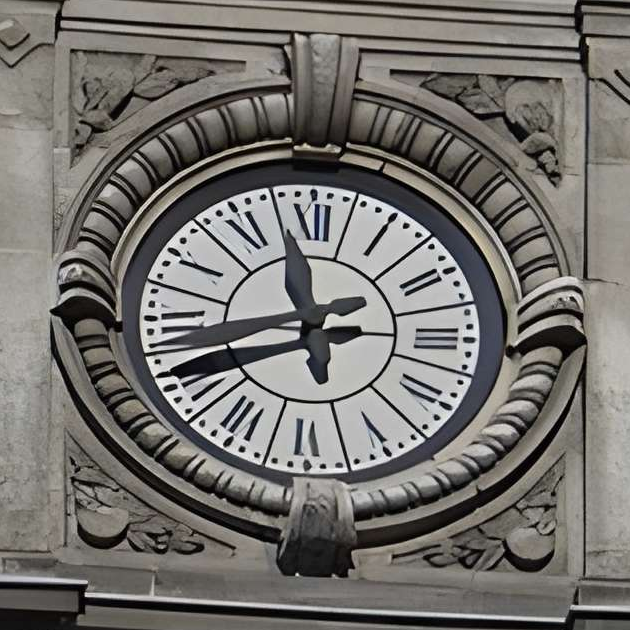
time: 11:41
